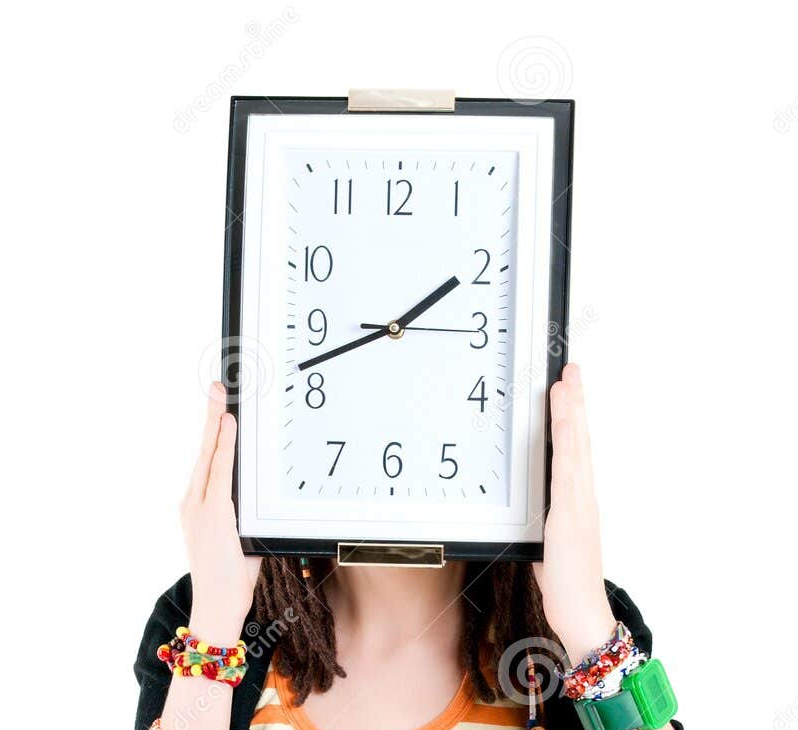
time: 1:42
